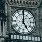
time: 5:00
